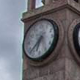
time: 6:37
